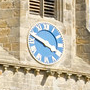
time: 3:48
